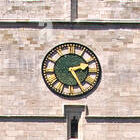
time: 2:24
